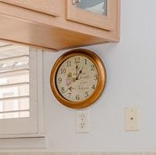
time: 1:00
